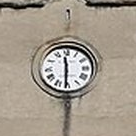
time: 11:30
